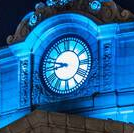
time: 8:47
